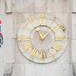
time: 11:07
